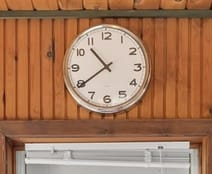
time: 10:39
